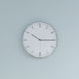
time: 10:14
